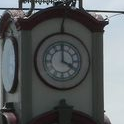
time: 4:00
